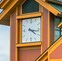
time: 4:16
